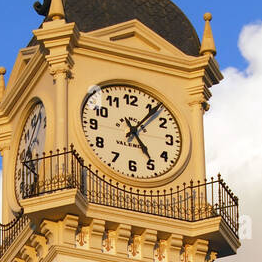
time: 5:06
